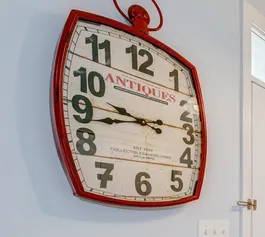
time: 9:43
